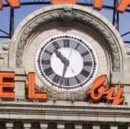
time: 10:32
